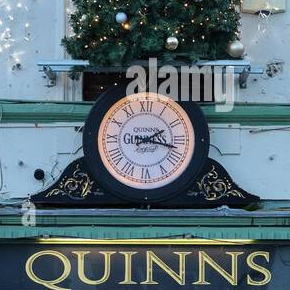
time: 2:17
